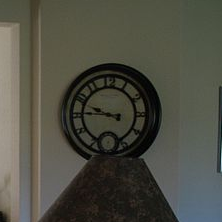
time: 9:45
